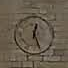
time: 12:26
